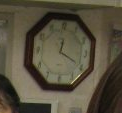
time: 12:19
